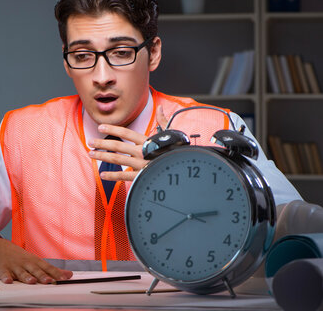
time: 2:39
